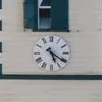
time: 5:20
